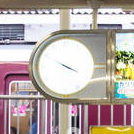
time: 3:49
